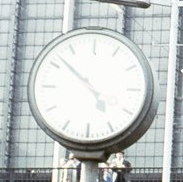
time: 4:52
